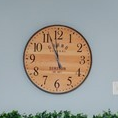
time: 11:56
